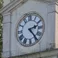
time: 2:23
